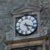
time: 5:18
